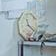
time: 11:21
